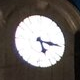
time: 5:15
